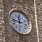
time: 11:46
